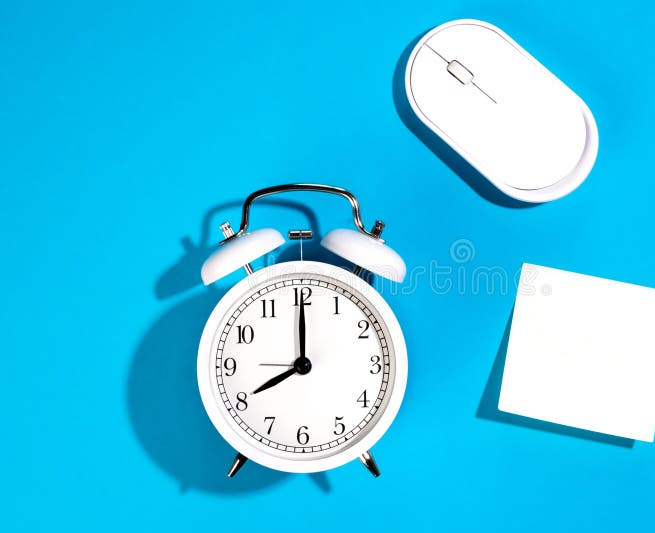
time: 8:00
